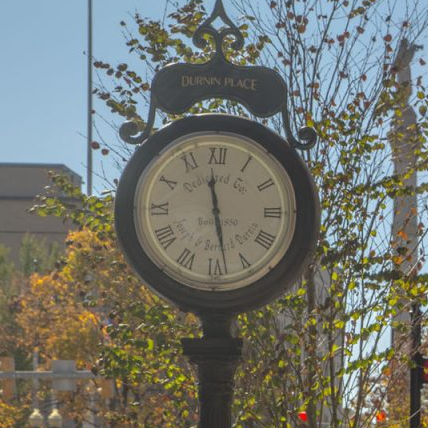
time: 11:28
